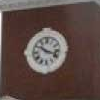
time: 10:17
